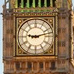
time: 9:12
